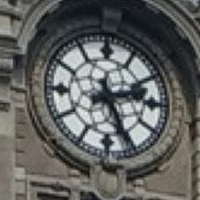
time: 2:25
